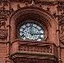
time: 2:59
